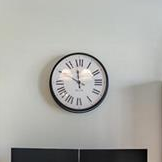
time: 11:49
